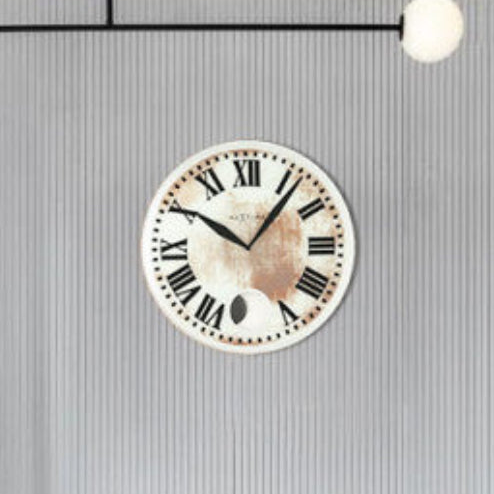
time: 10:06
